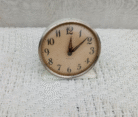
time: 12:08
